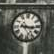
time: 9:15
